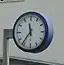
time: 11:36
